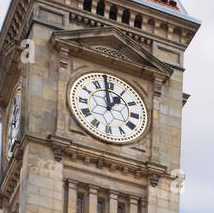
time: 12:58
